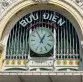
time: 12:55
